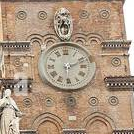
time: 6:11
